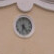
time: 6:23
